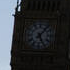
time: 5:06
